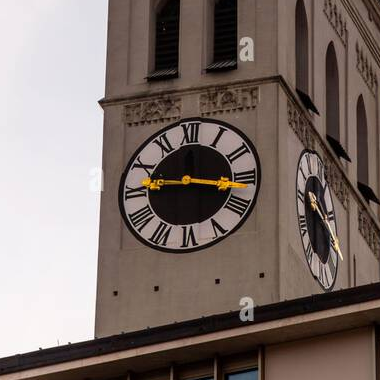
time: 12:16
